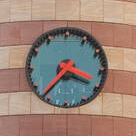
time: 3:36
